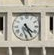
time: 4:25
